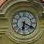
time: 6:19
